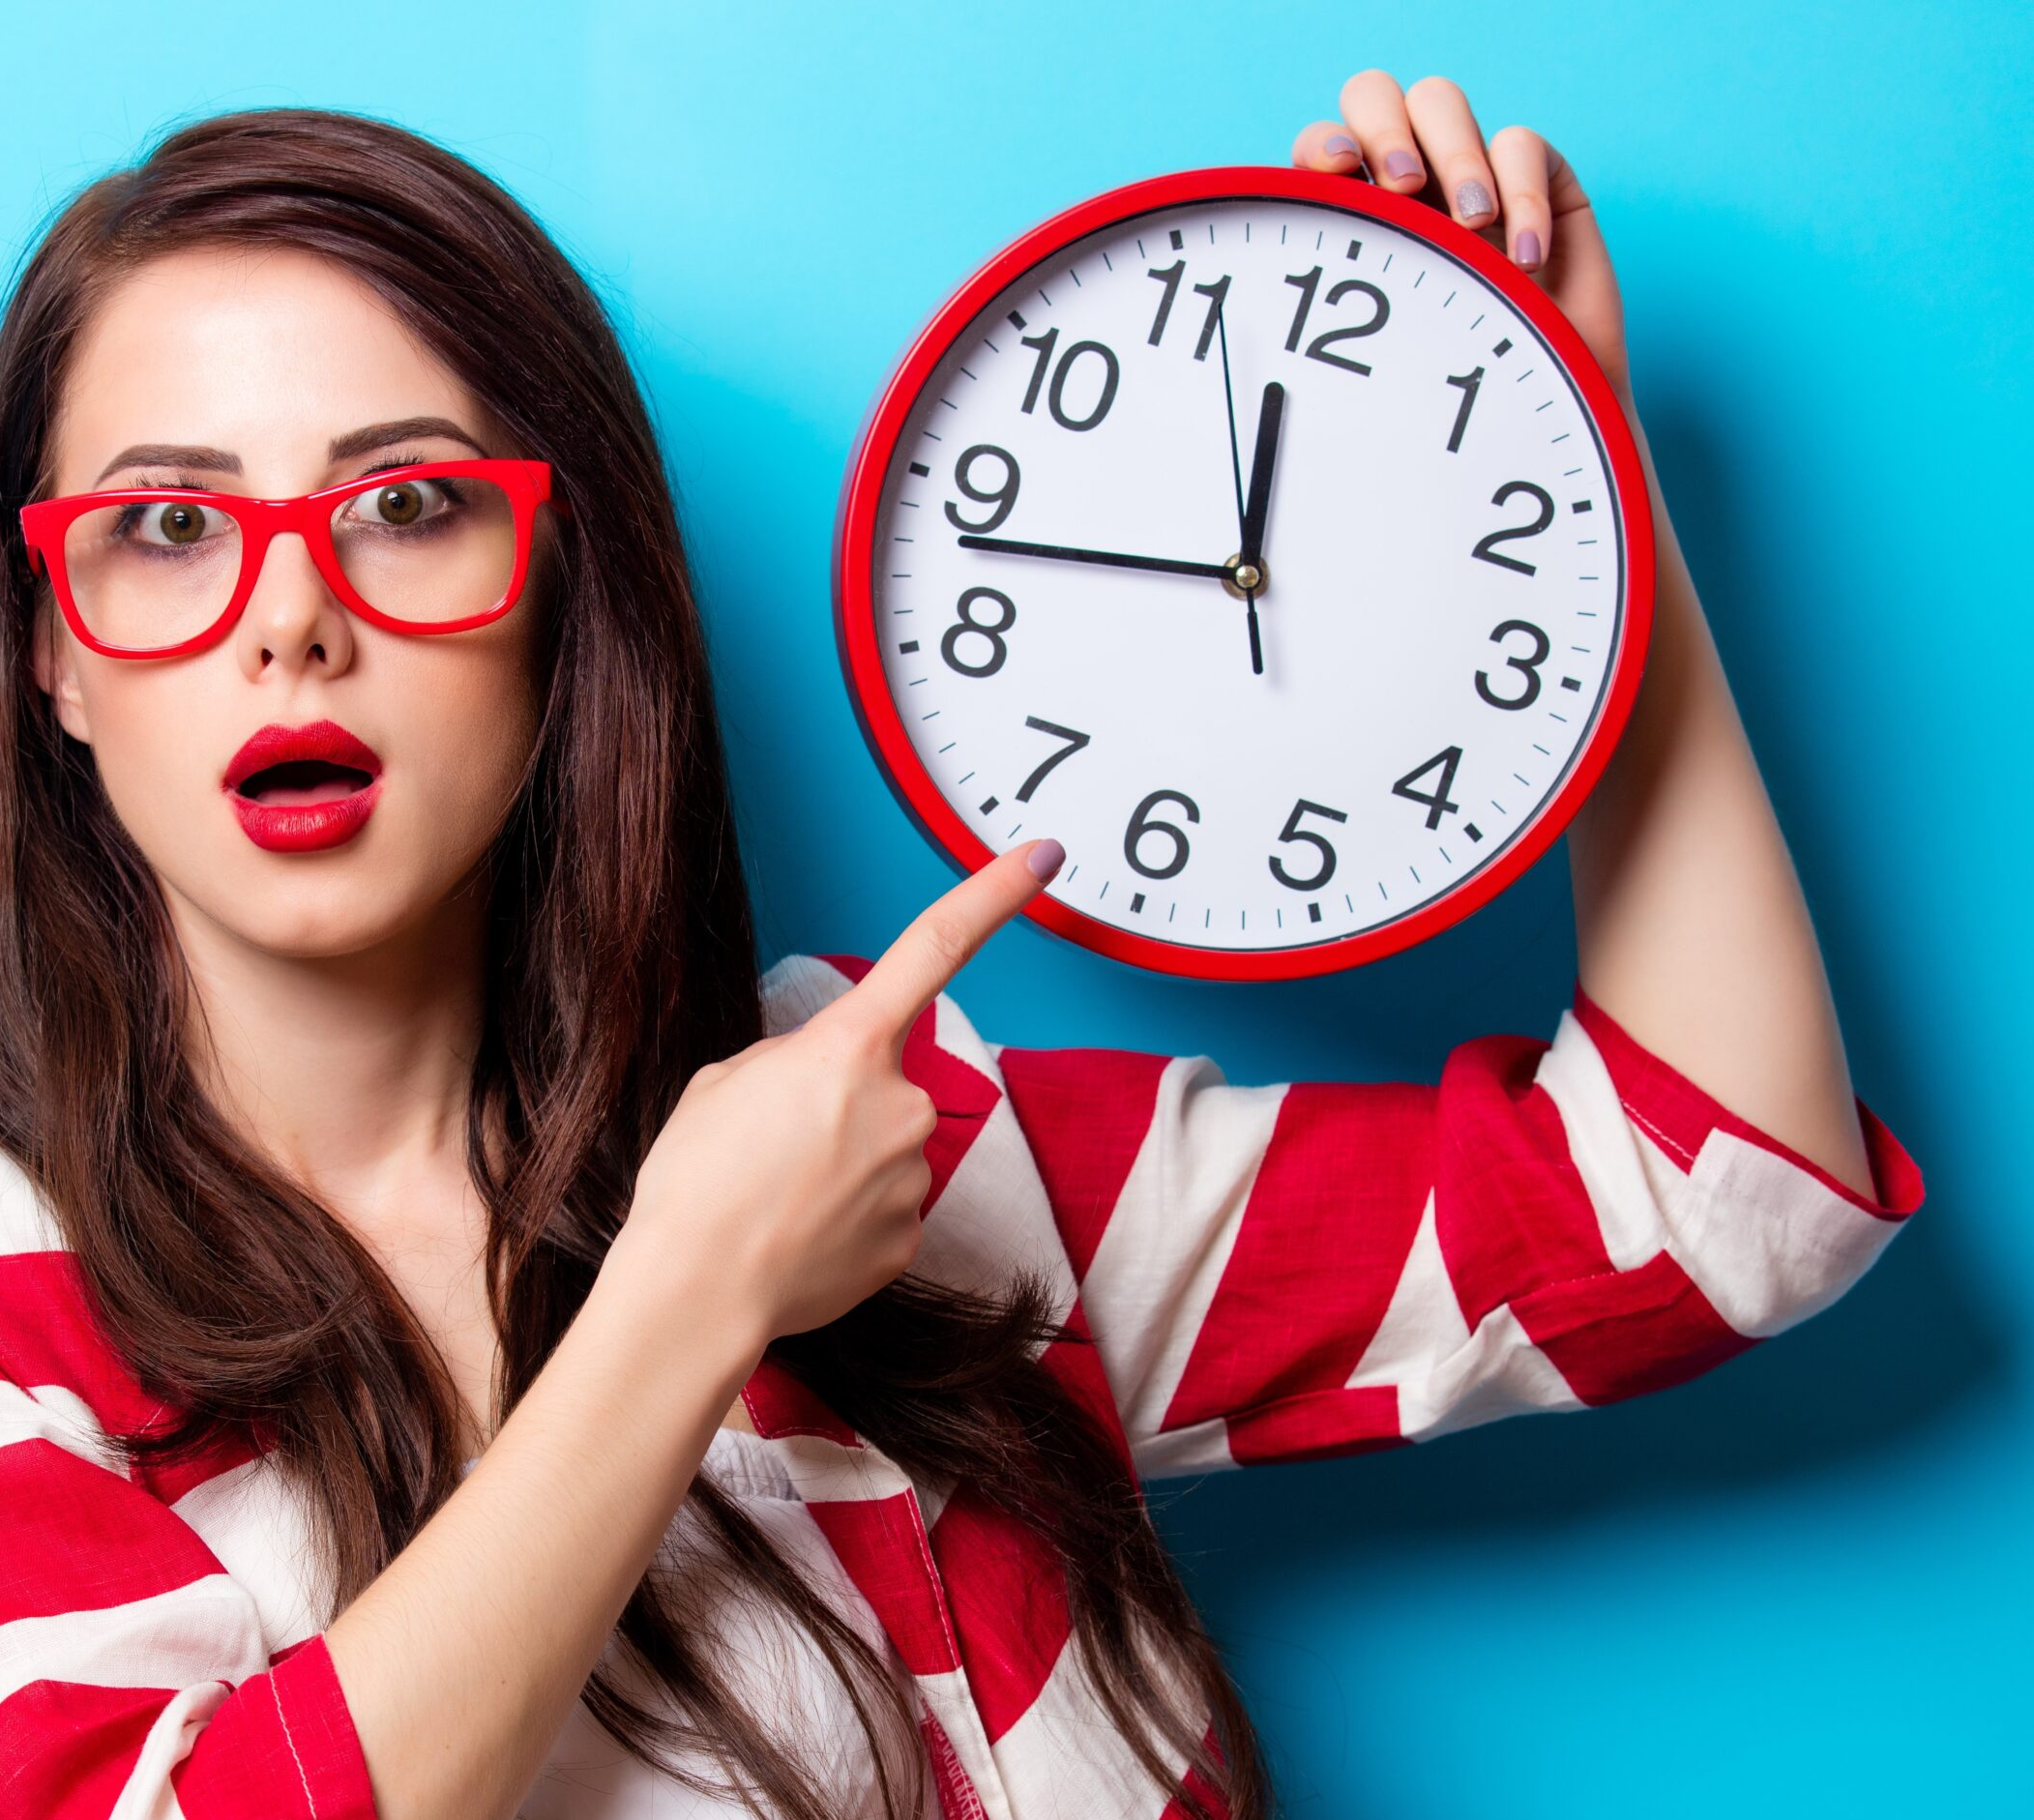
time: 11:42
